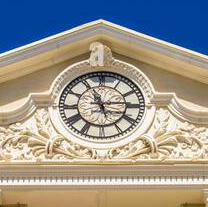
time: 11:14
